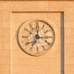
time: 7:00
